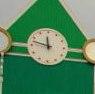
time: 11:47
